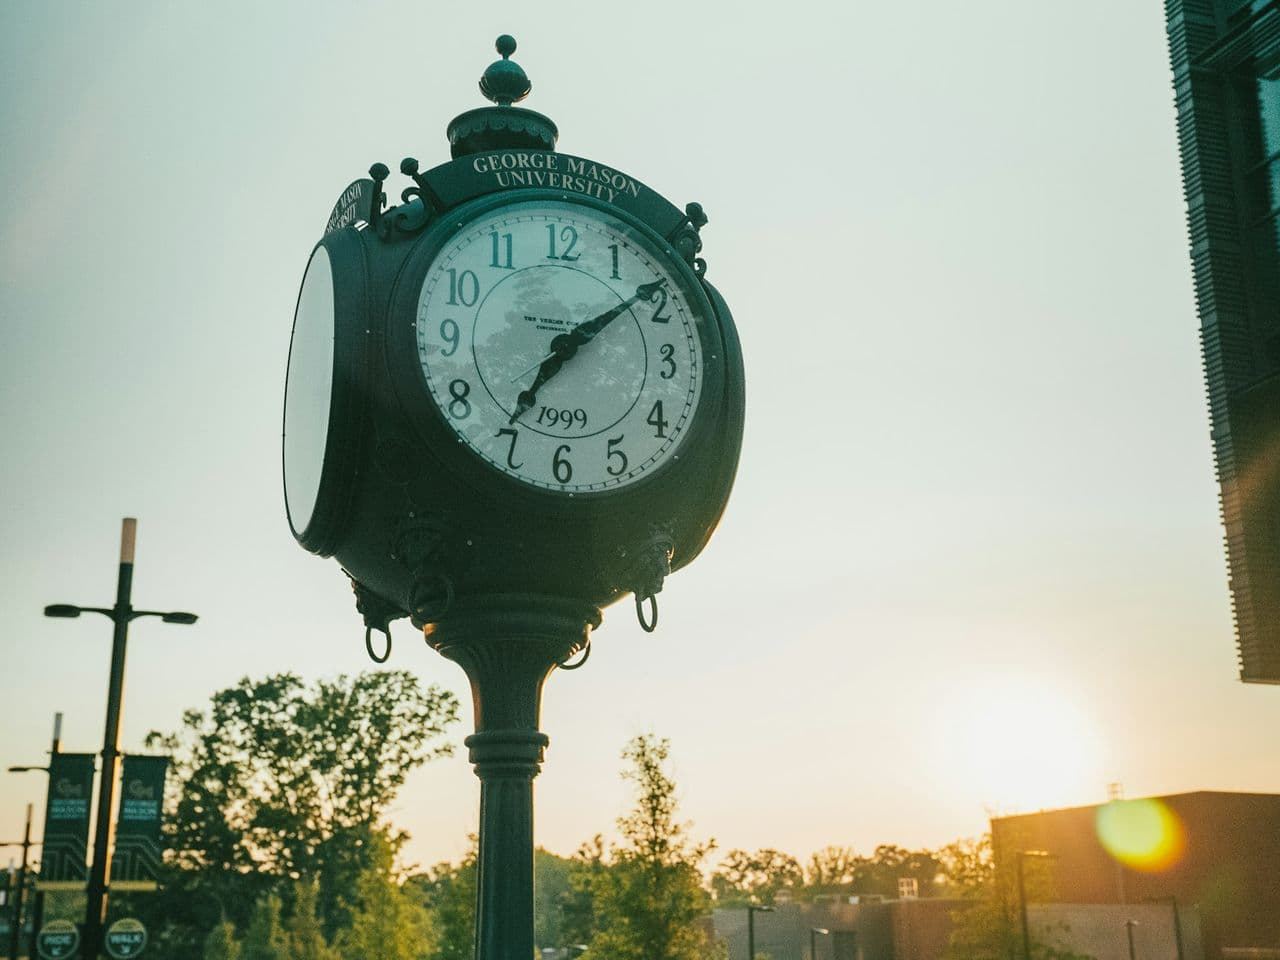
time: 7:08
